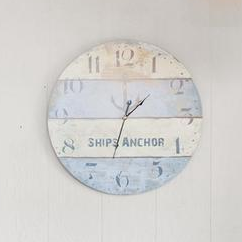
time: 1:32
